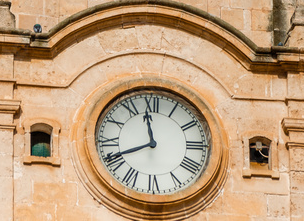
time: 11:40
